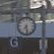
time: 7:28
